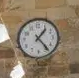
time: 1:23
